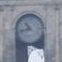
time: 10:42
